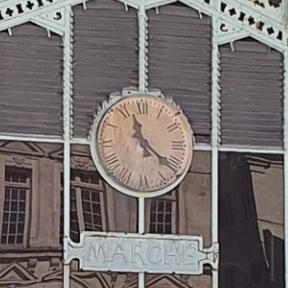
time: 11:21
